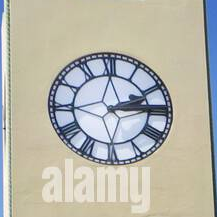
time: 2:14
